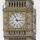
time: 2:56
